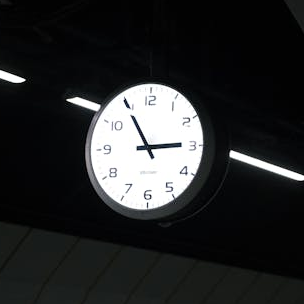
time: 2:54
